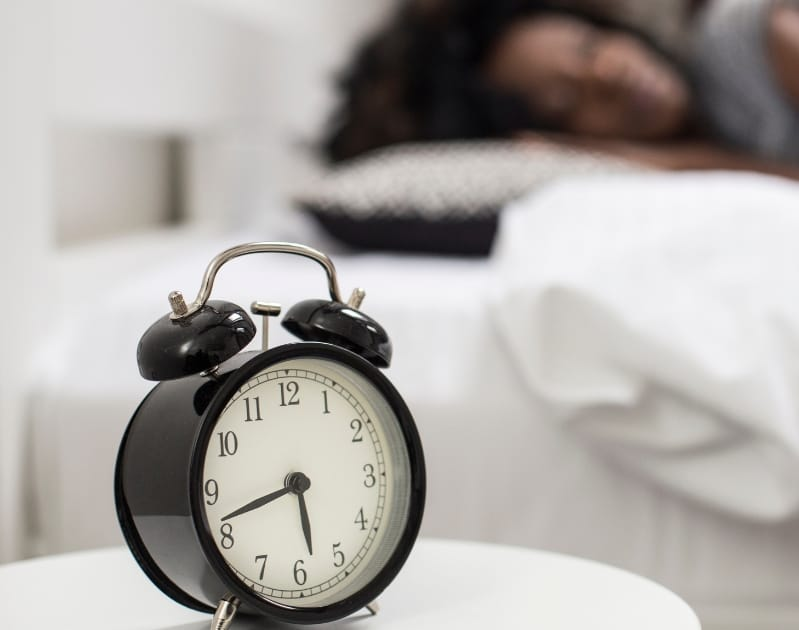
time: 5:42
